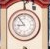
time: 8:53
